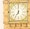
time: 7:00
